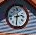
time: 2:30
